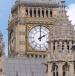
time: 2:00
